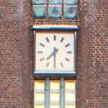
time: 7:30
